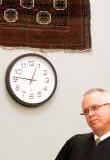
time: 12:46
